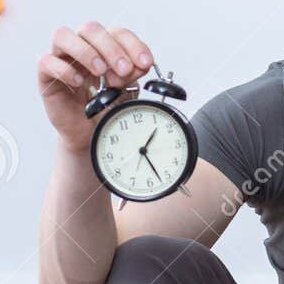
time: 1:26
